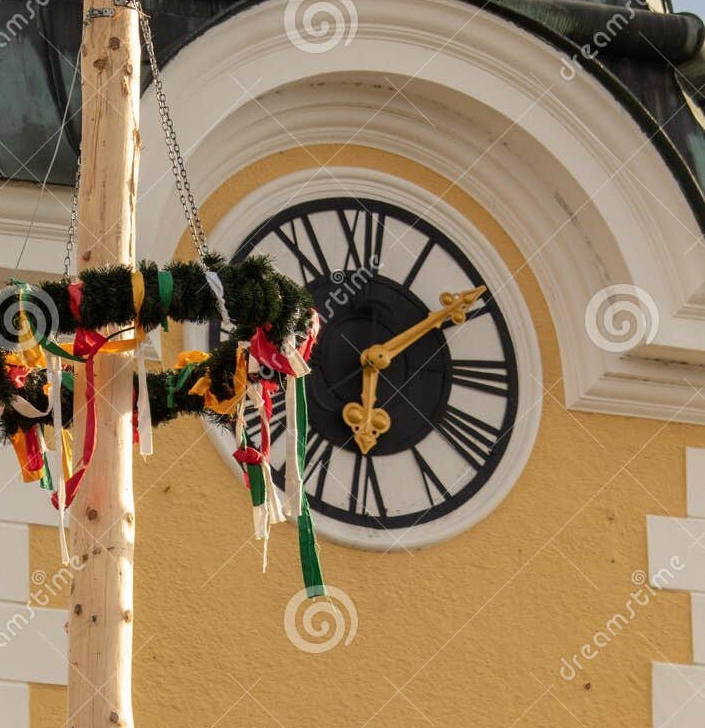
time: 6:09
